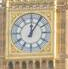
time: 12:05
